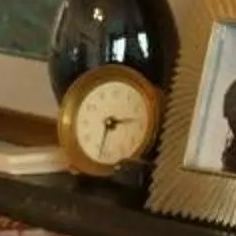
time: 2:32
